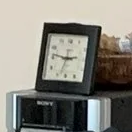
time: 2:46
